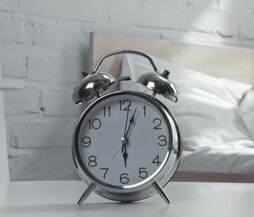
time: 6:03
